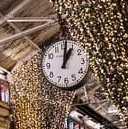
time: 1:01
